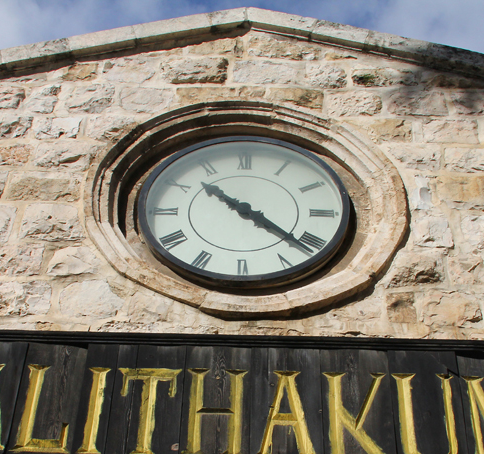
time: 10:21
